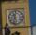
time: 11:32
